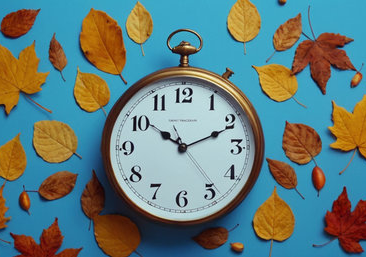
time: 10:11
